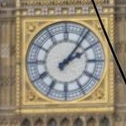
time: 2:06
